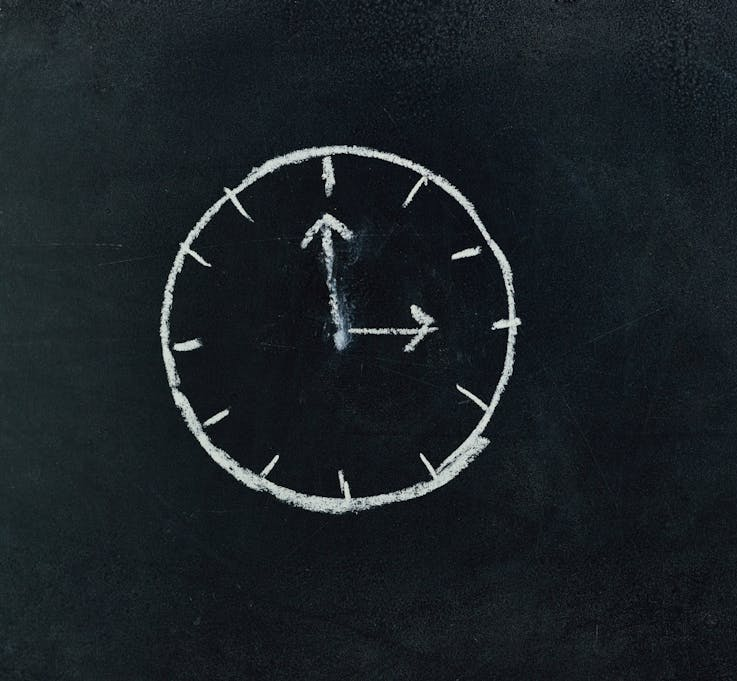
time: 2:59
